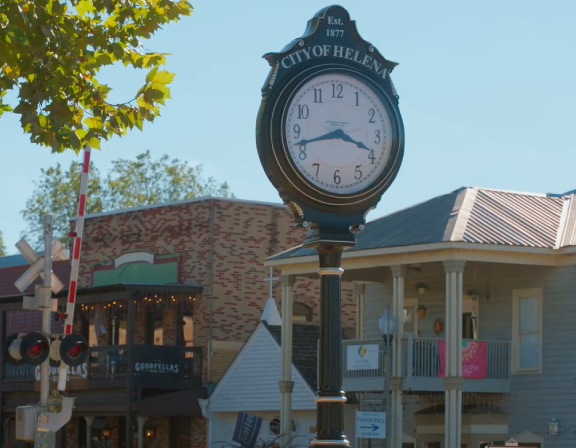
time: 3:42
